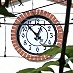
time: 12:53
